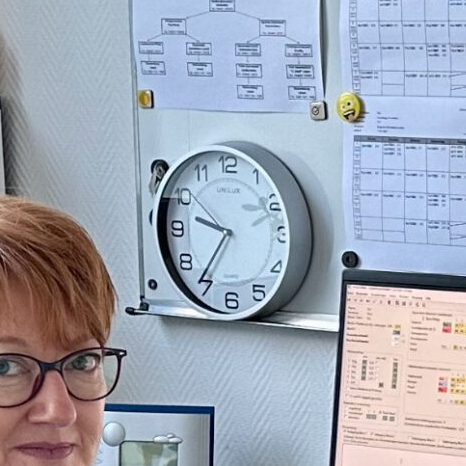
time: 9:35
